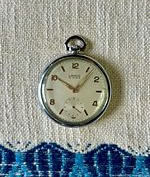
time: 10:06
